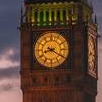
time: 8:20
